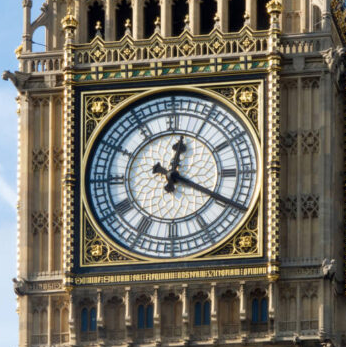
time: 12:19
